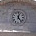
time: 12:23
